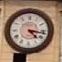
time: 4:16
